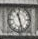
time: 11:27
